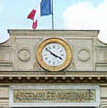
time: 3:52
